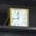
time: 11:42
